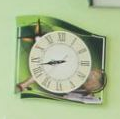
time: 8:42
